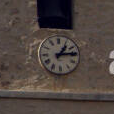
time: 1:13
